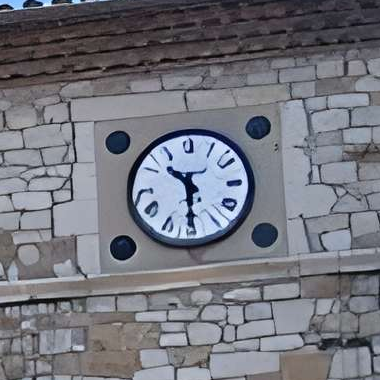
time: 10:29
